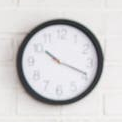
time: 10:18
